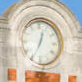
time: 12:34
